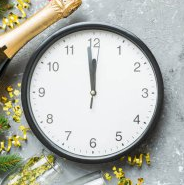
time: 11:58
